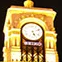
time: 5:11
